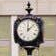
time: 12:07
